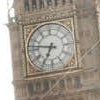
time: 6:47
